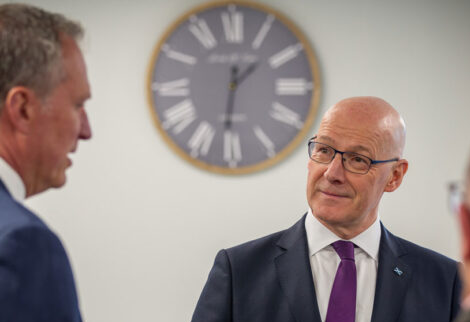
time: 1:31
